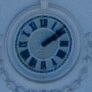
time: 2:08
